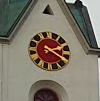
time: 2:19
